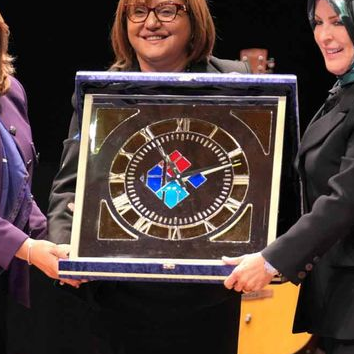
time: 11:11
